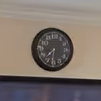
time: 7:31
